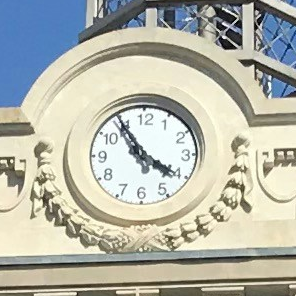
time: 3:54
